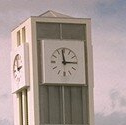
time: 2:58
